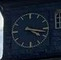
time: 4:17
